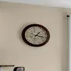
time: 1:16
